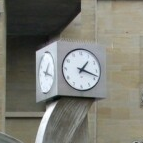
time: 1:17
